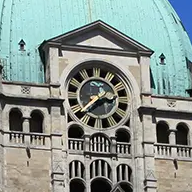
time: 2:38
